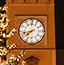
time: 7:42
